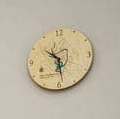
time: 10:28
